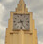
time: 8:26
